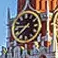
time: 8:36
